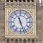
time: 11:26
